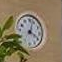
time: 4:02
